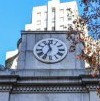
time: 11:35
